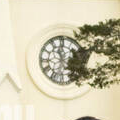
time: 11:32
